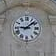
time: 9:08
